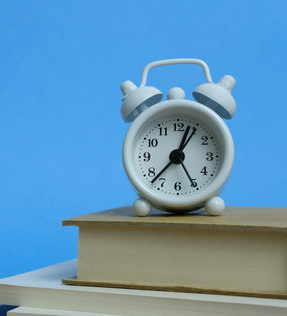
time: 12:37
